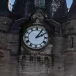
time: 2:06
